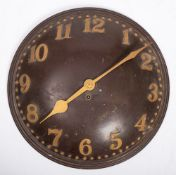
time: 1:38
